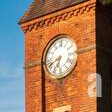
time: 6:41
